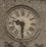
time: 9:31
